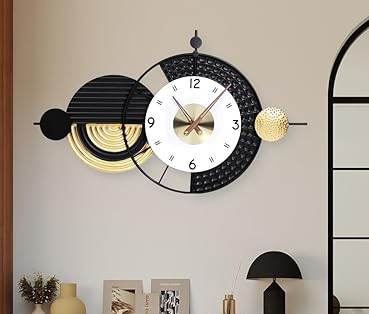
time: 3:06
